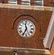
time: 6:58
